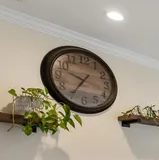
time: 9:35
